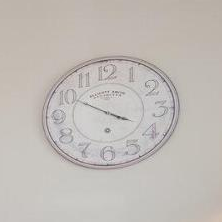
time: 3:50
